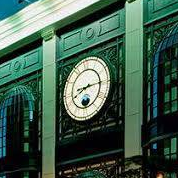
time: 8:14
